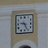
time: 9:25
